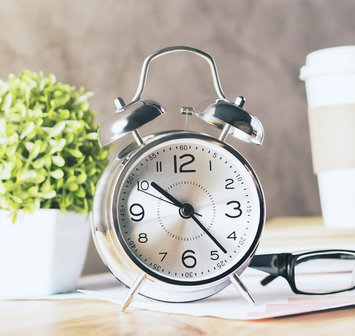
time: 10:23
